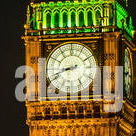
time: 8:41
